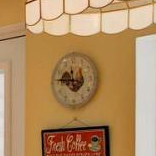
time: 11:46
